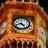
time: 4:42
